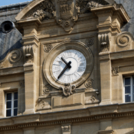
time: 10:36
